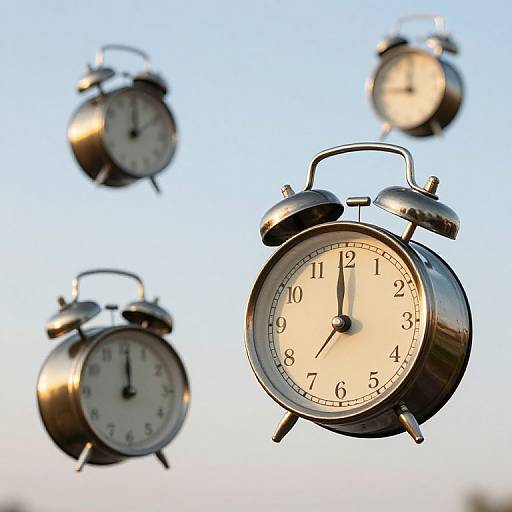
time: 11:59
